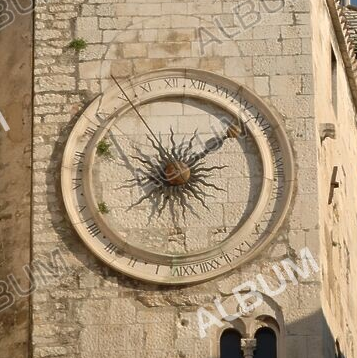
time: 12:08
